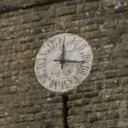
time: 12:16
